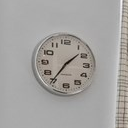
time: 1:36
